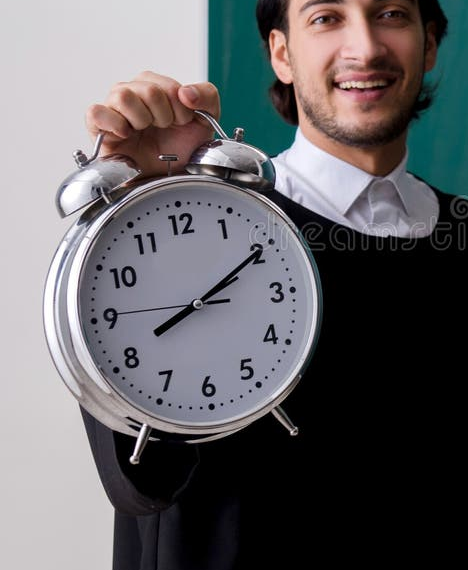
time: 2:10
